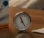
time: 11:24
